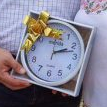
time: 2:12
